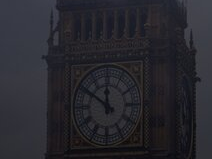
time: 11:50
